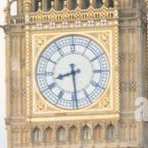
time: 8:29
